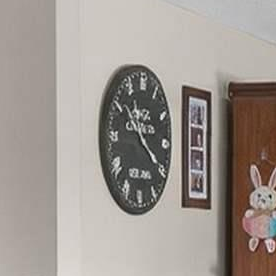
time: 10:20
